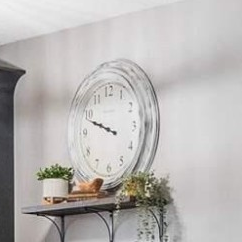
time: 9:48
